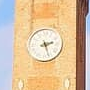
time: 2:26
